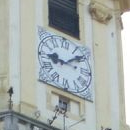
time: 9:08
